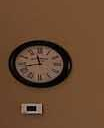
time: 11:42
